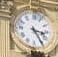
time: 3:24
